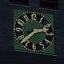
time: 2:38
